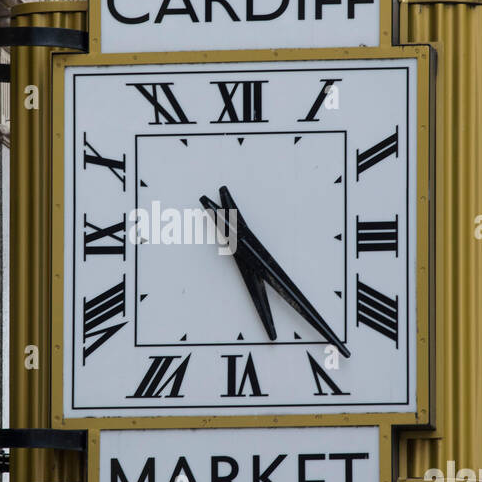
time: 5:22
